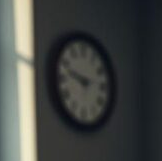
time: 2:48
